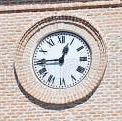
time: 12:44
